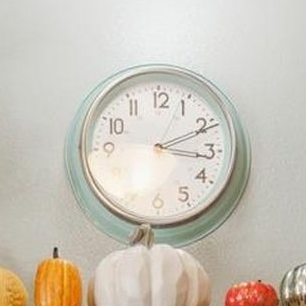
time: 3:11
